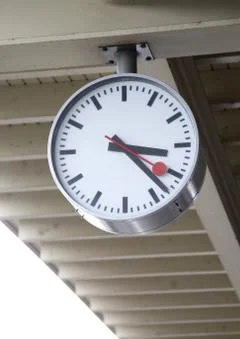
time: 3:22
